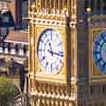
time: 11:16
